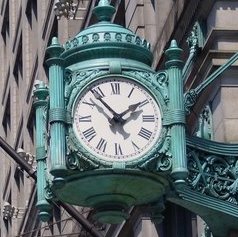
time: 1:52
